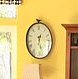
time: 12:27
